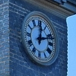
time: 12:11
